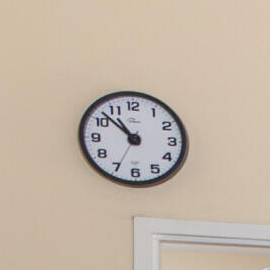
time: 10:52
